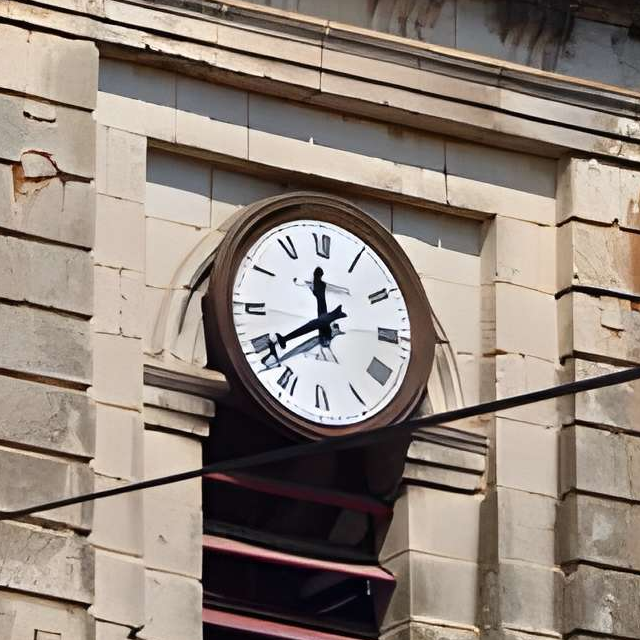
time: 11:39
